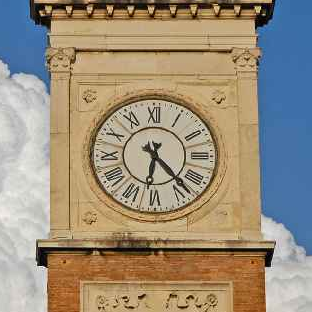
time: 6:23
